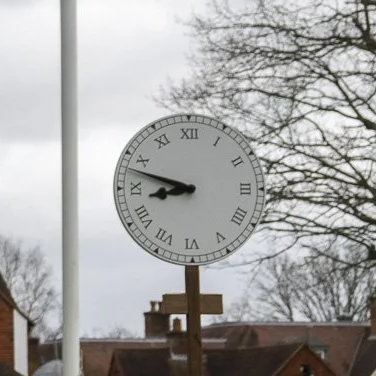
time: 8:48
